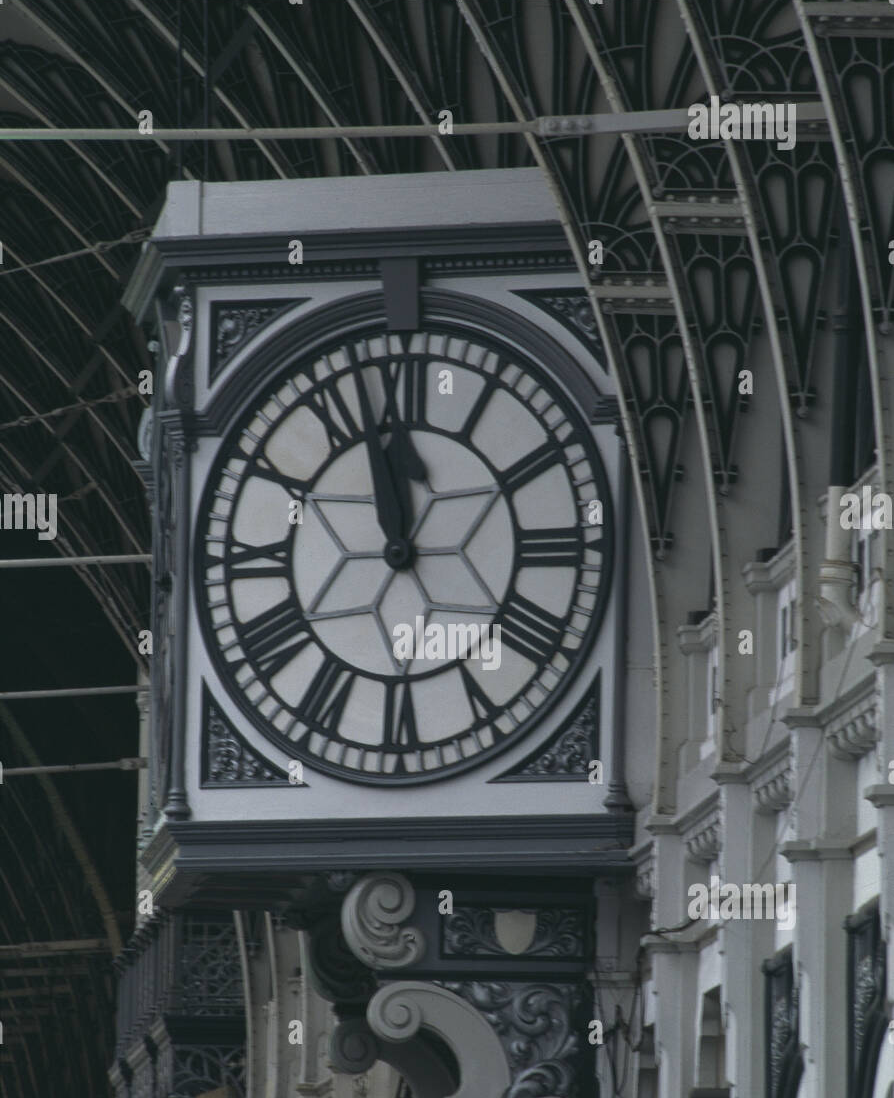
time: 11:57
